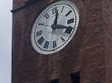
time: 12:18
